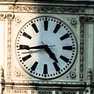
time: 4:43
